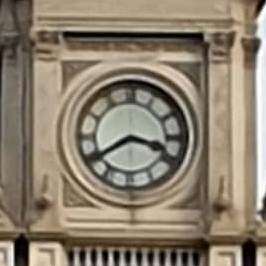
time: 3:39
